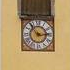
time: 2:53
